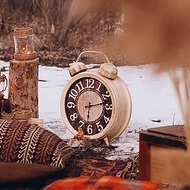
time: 6:13
